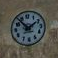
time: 1:53
